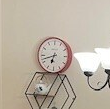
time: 6:42
